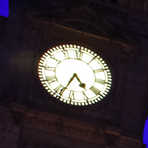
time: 4:33
